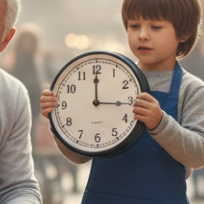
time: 3:00
